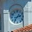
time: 2:36
